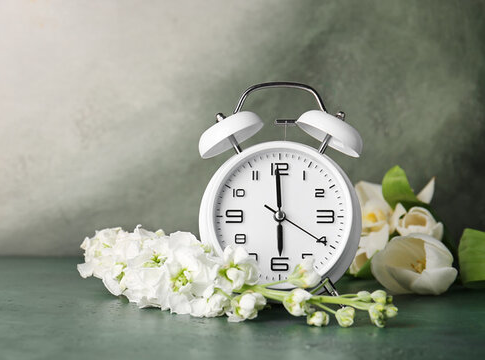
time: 5:59
